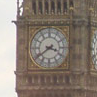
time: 3:39
